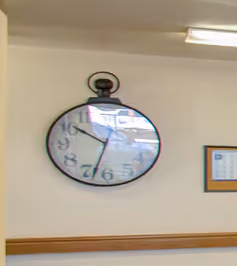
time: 10:33
